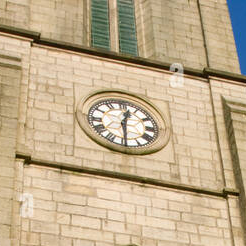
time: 12:29
